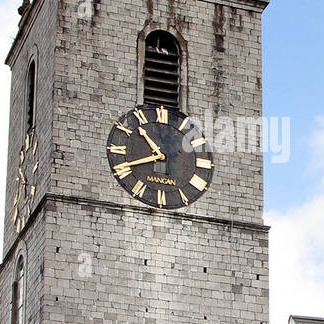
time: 10:41
